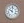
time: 10:00
